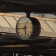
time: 5:44
